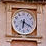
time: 6:19
